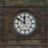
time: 11:50
